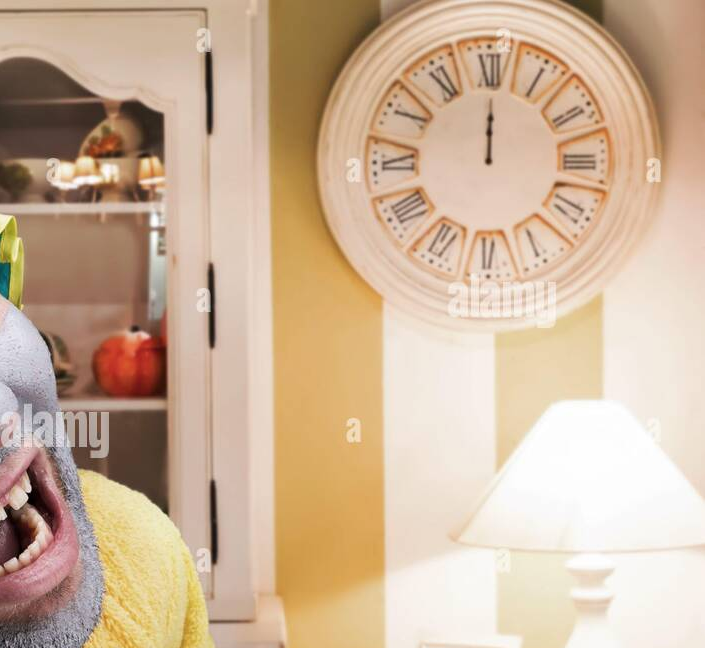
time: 12:00
